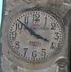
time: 3:52
